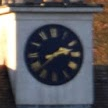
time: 2:37
